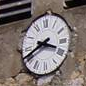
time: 3:40
